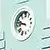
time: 9:47
